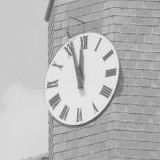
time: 11:56
